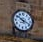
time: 3:50
